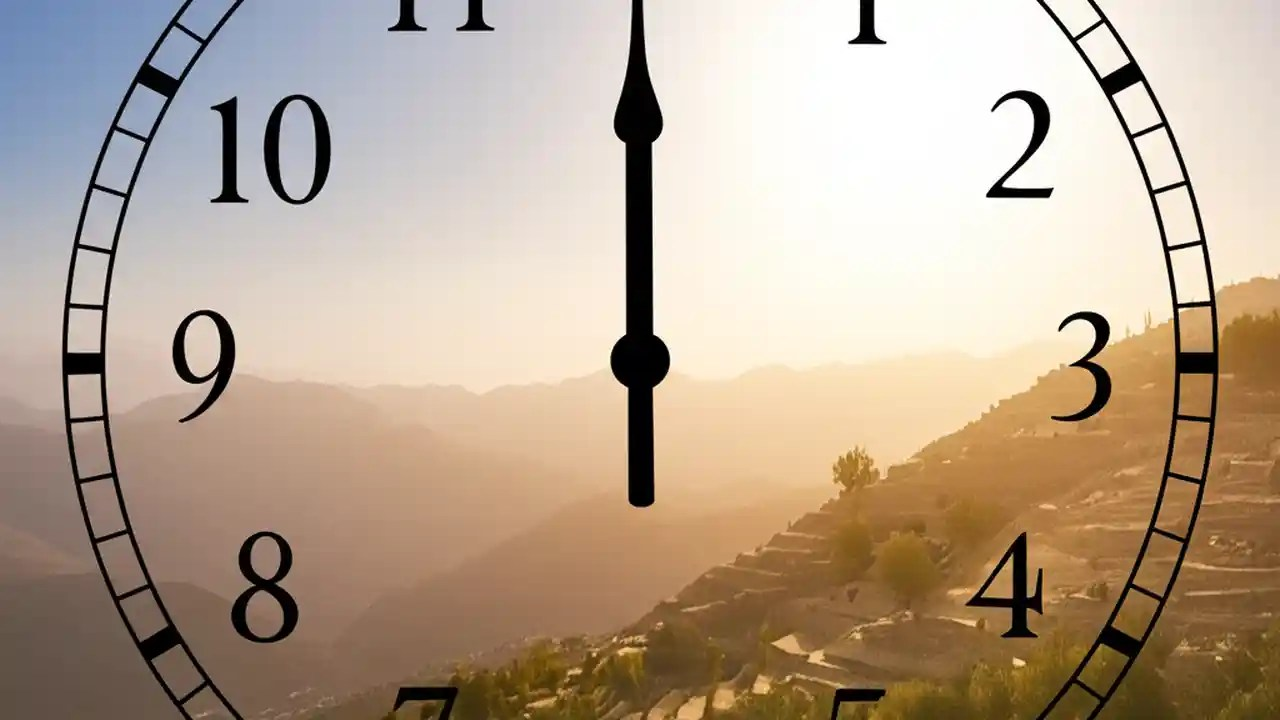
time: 5:59
